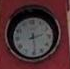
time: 2:29
